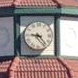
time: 9:22
